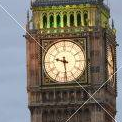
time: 9:29
